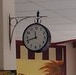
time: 11:42
